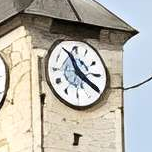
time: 11:20
